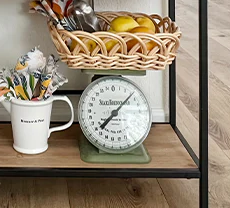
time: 7:07
